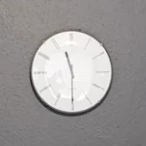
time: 11:29
